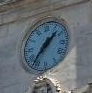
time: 1:36
